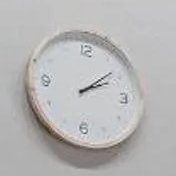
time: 2:08
